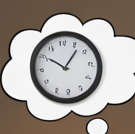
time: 10:06
